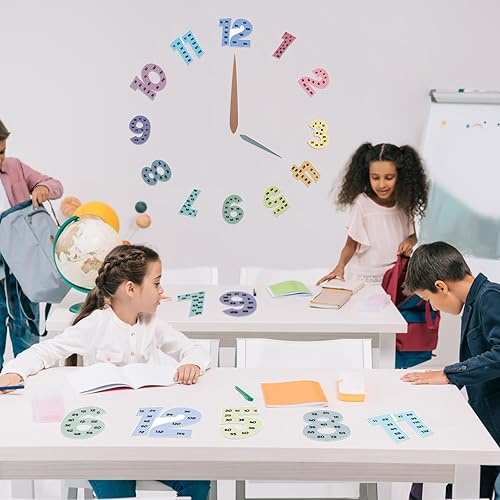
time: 4:00
